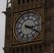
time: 3:20
